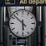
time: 5:51
